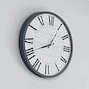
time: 8:04
